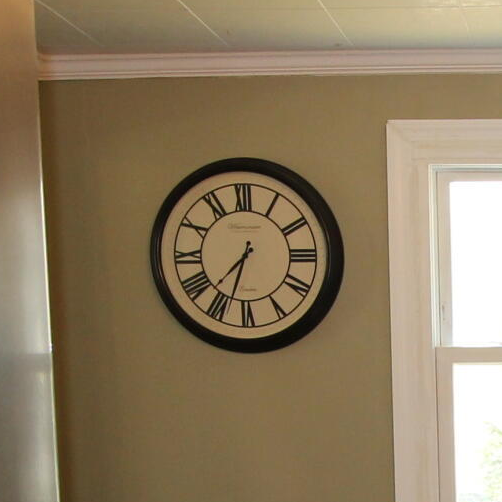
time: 7:33
